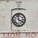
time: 3:58
